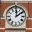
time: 12:09
